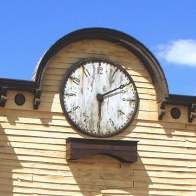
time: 6:10
